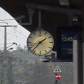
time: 1:36
